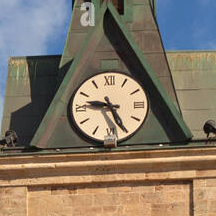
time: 9:25
